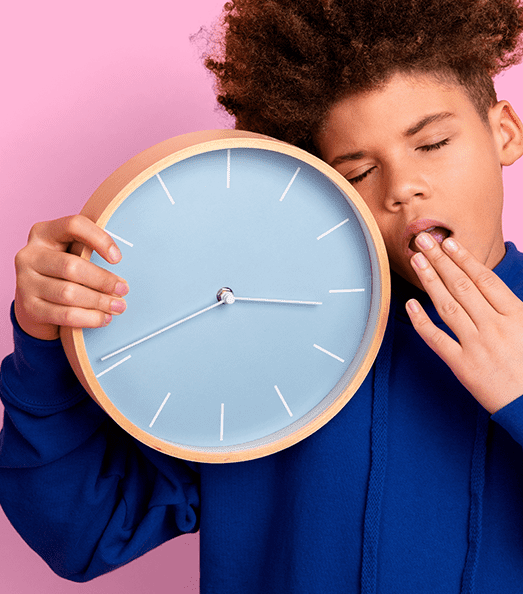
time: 3:16
